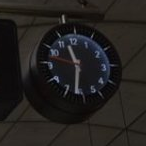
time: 11:31
